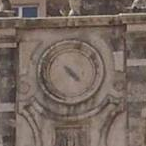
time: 4:22
